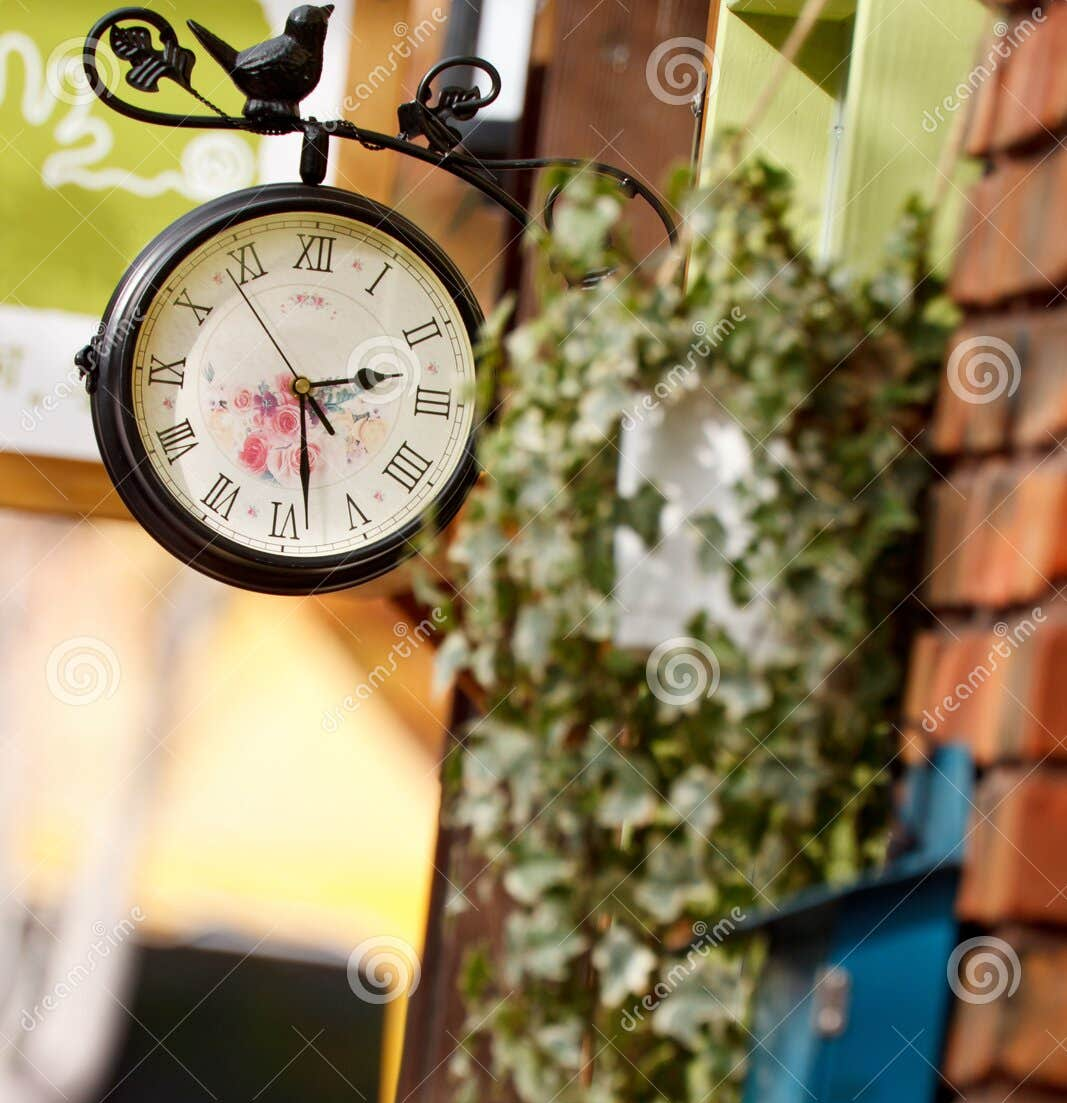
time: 2:28
